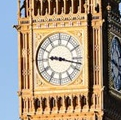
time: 9:17
